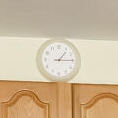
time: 1:14
